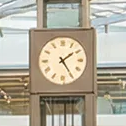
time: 1:24
